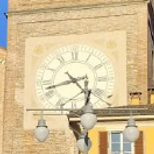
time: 4:42
